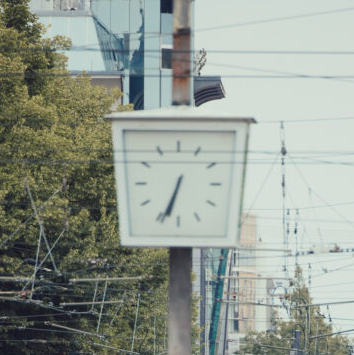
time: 6:33
